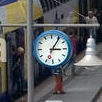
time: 3:05
